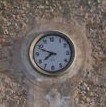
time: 7:48
